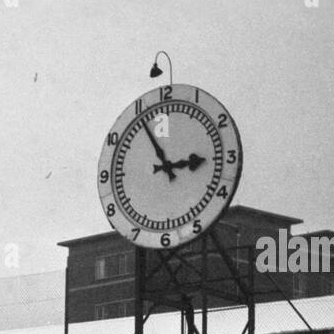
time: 2:55
